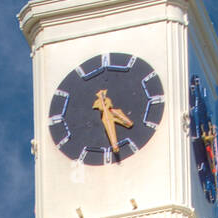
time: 4:28
